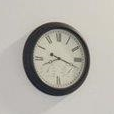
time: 8:18
